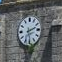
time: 2:29
